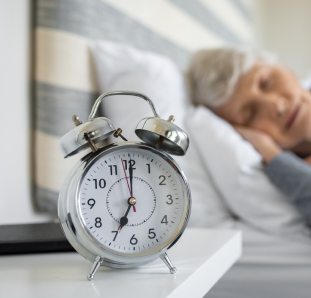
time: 7:00
